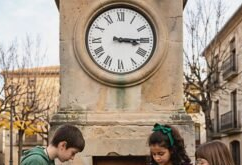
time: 3:14
